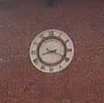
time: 8:19
